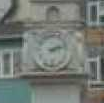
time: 2:12
